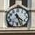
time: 4:26
